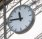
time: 11:46
